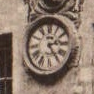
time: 2:24
